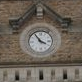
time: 3:54
